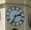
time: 2:34
